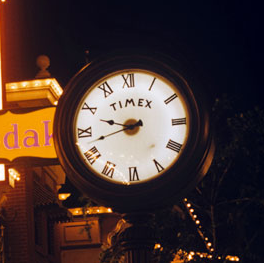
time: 9:42
